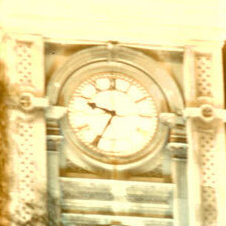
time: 9:34
